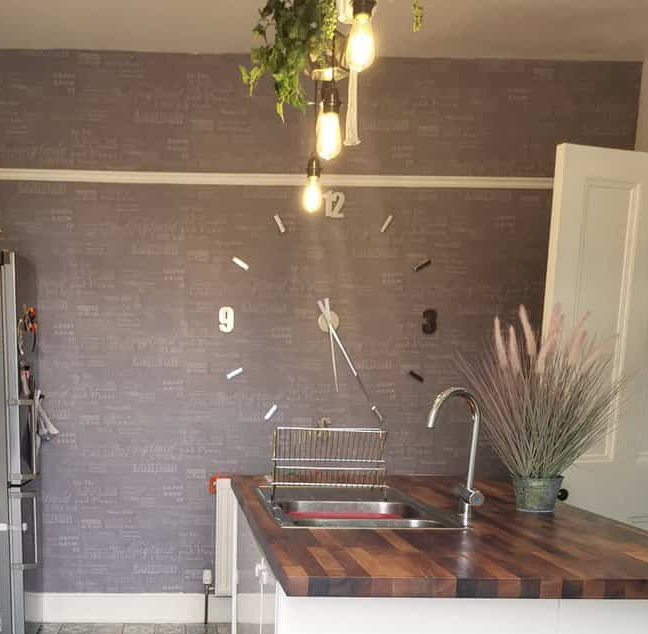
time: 5:24
